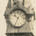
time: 10:34
